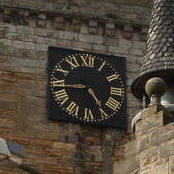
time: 4:43
